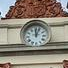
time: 12:03
